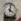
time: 4:01
